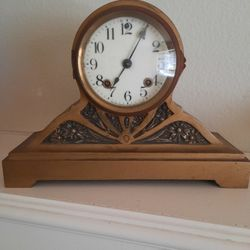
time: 7:04
